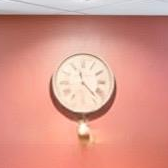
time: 11:22
